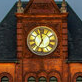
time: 6:58
